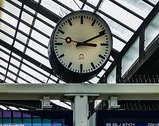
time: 3:10
